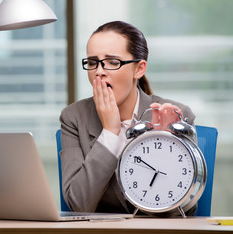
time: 6:50
